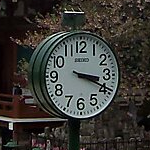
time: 3:19
